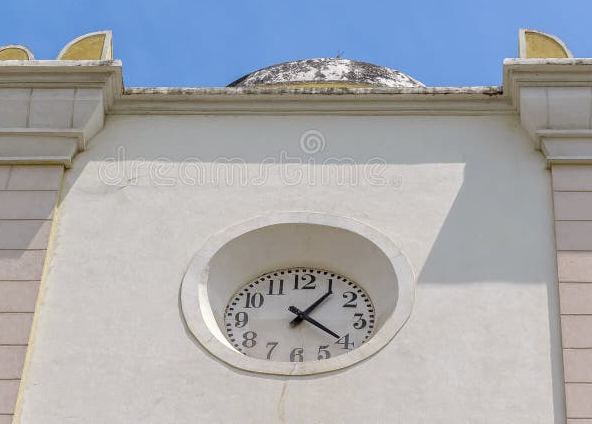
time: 1:20
